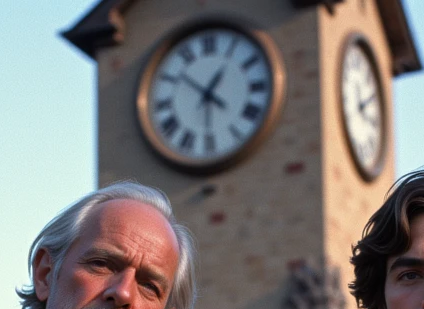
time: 12:51
